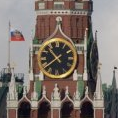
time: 10:38
